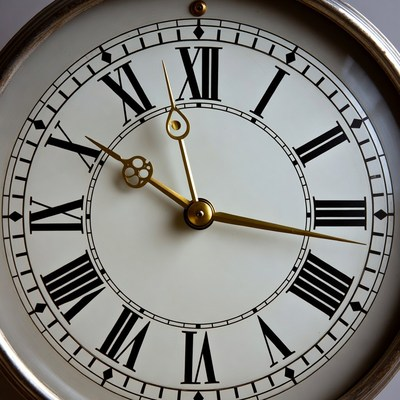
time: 10:16
